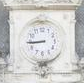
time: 8:44
